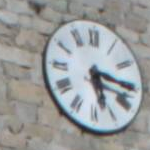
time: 5:15
